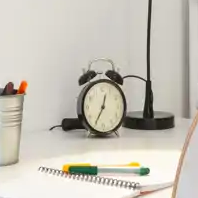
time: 12:34
